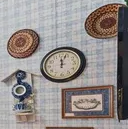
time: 12:03
